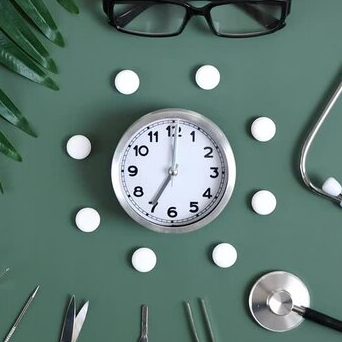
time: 7:00
